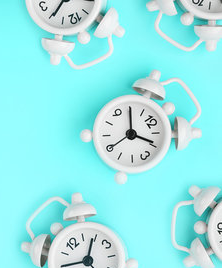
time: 4:00
